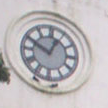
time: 12:49
